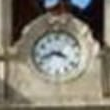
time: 3:42
